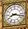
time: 8:17
